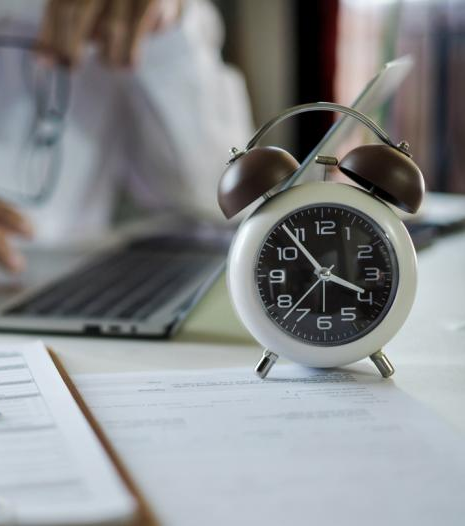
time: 3:53
